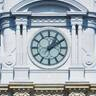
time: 1:09
